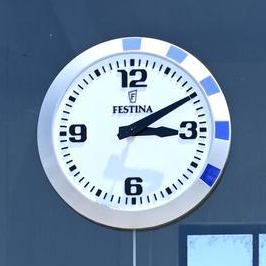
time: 3:10
